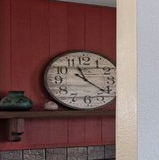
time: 11:21
